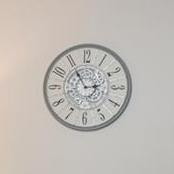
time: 2:54
